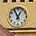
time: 12:55
